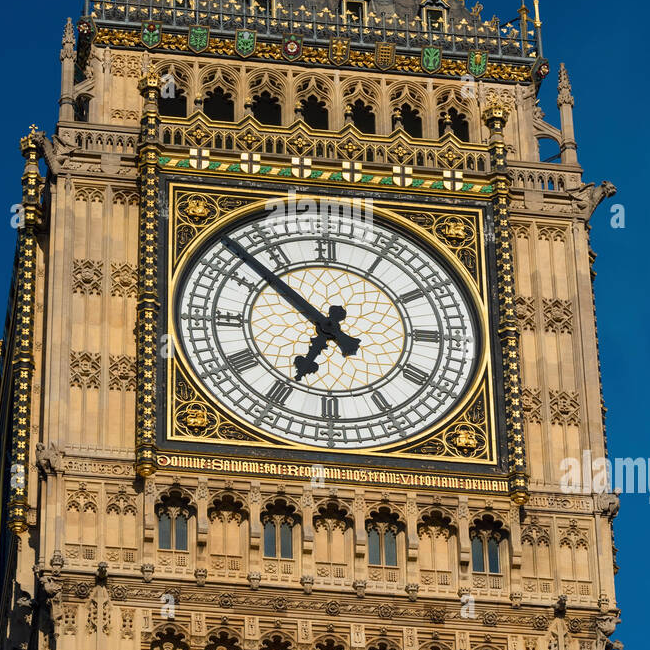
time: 6:52
